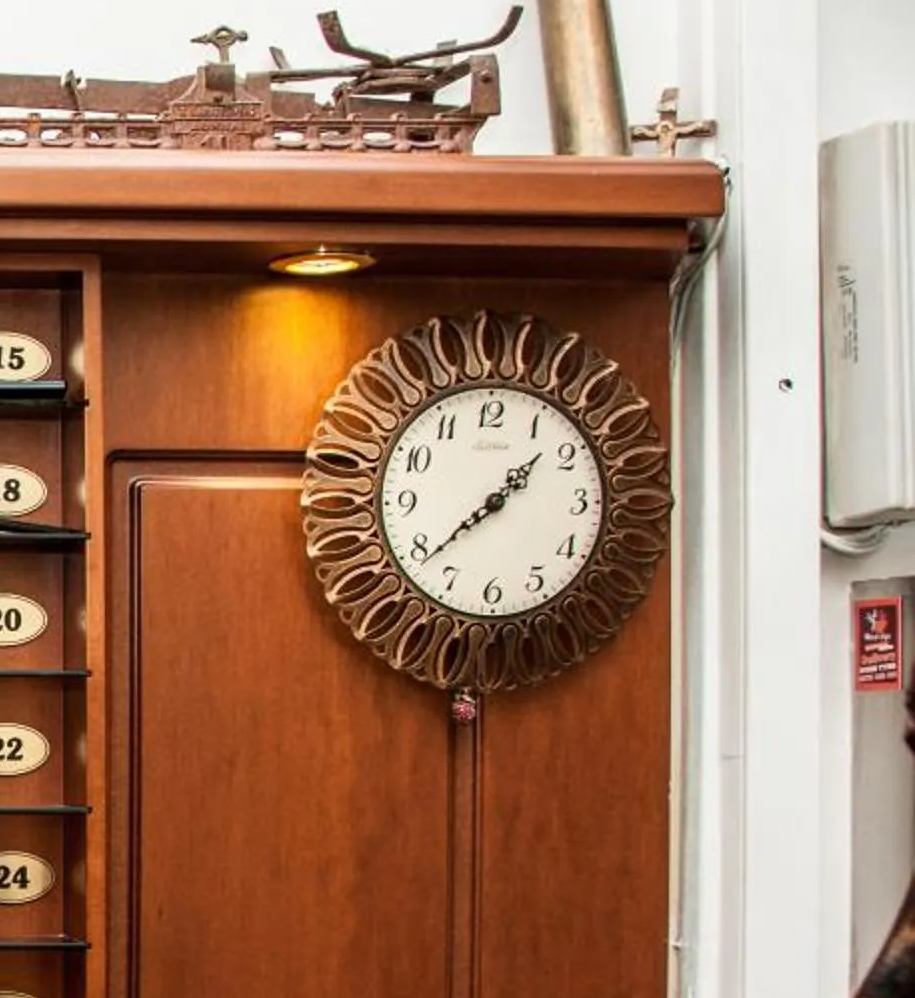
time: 1:38
